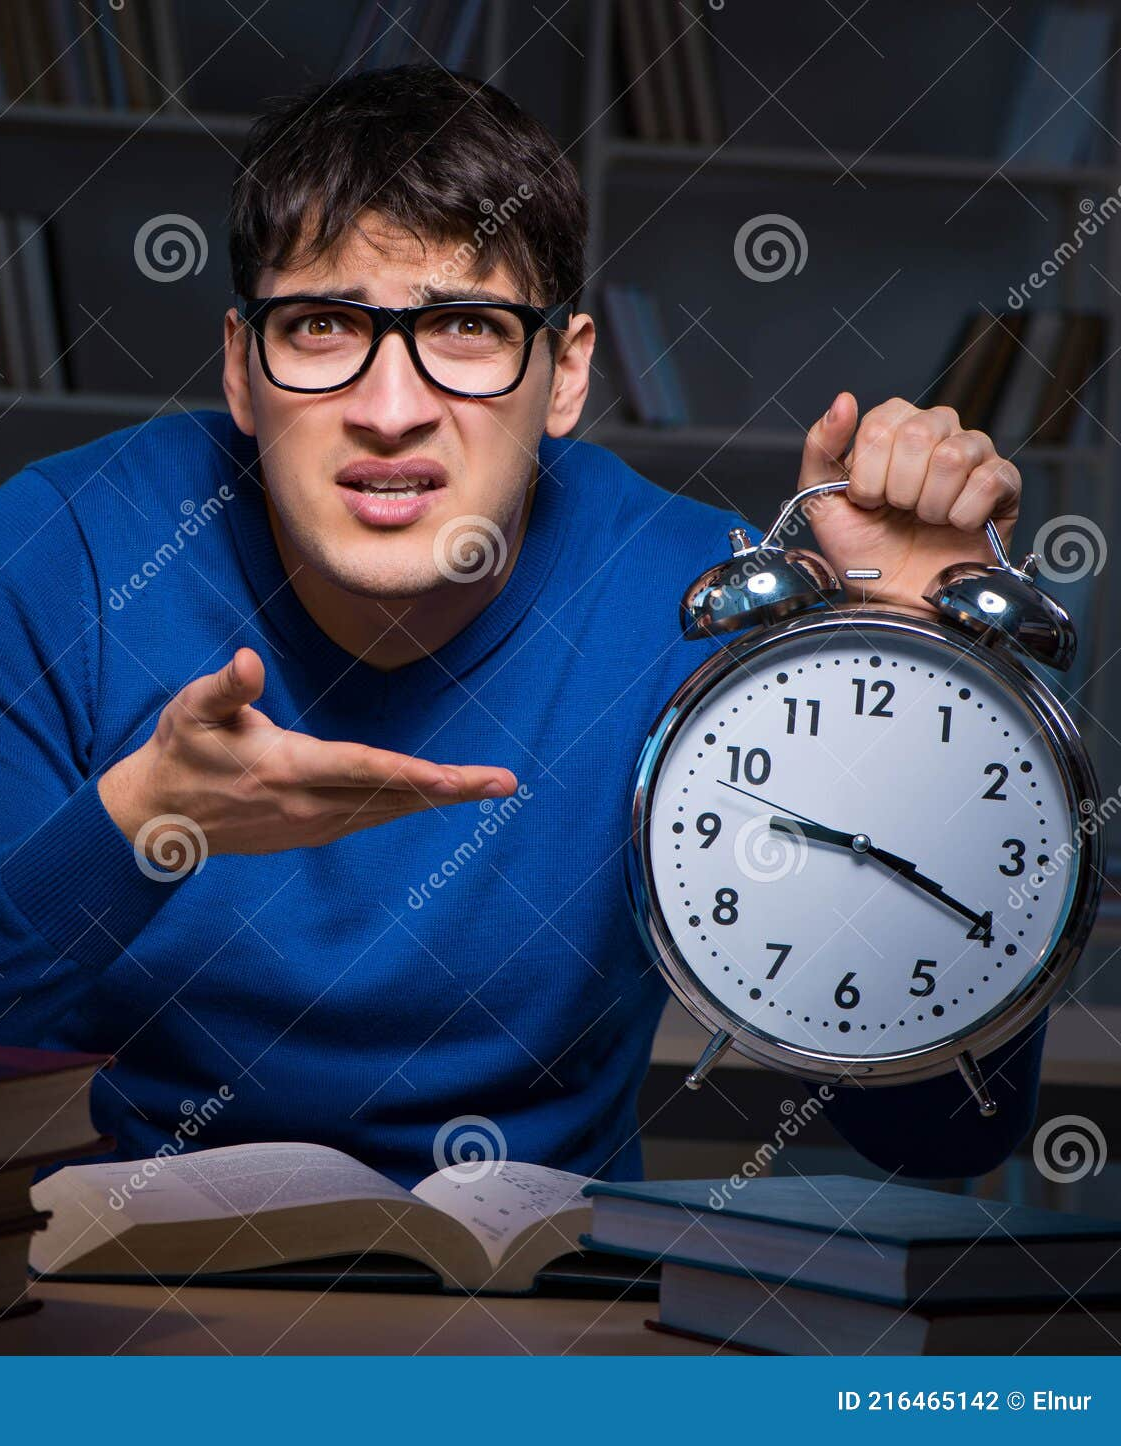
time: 9:19
